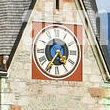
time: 4:35
